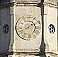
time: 1:41
